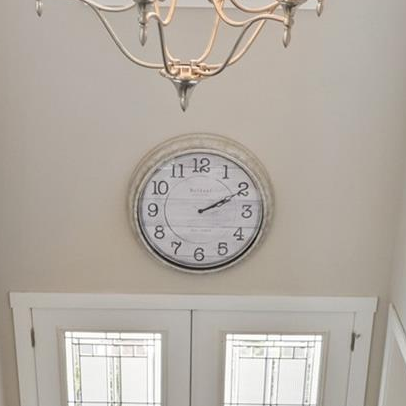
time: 2:10
